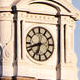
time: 6:41
